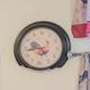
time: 4:42
